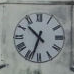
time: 10:33
